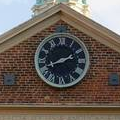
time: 1:41
